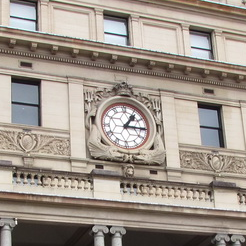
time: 1:15
